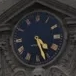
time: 4:26
